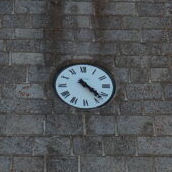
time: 4:22
